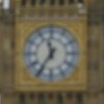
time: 11:35
